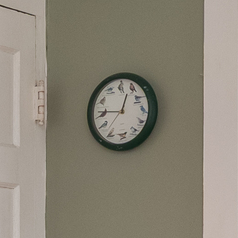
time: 12:45
